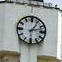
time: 1:12
